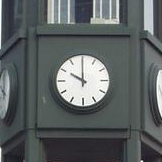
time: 9:59
